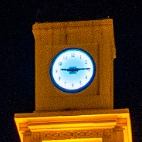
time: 9:14
